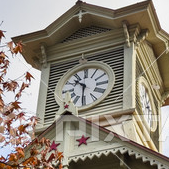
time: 10:31
